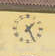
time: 1:25
